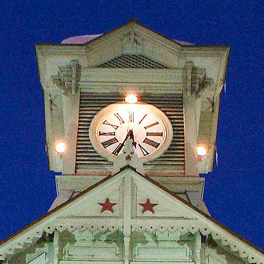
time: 5:34
